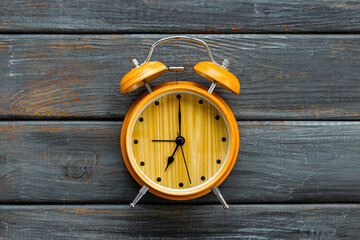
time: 7:00
